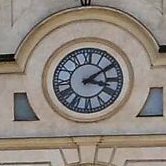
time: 3:09
